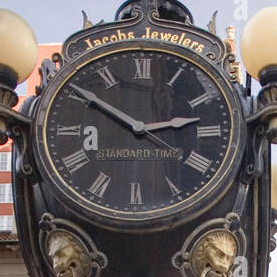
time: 2:50
